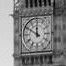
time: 11:50
